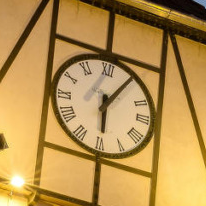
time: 6:05
